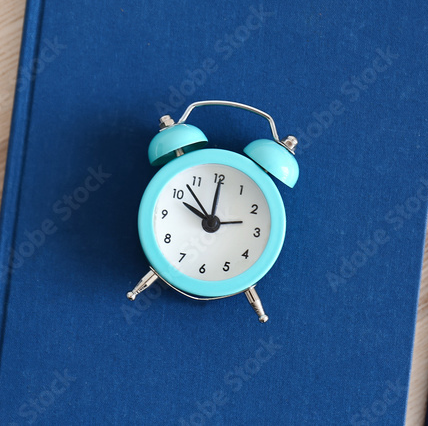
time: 10:00
